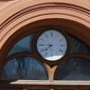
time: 7:44
